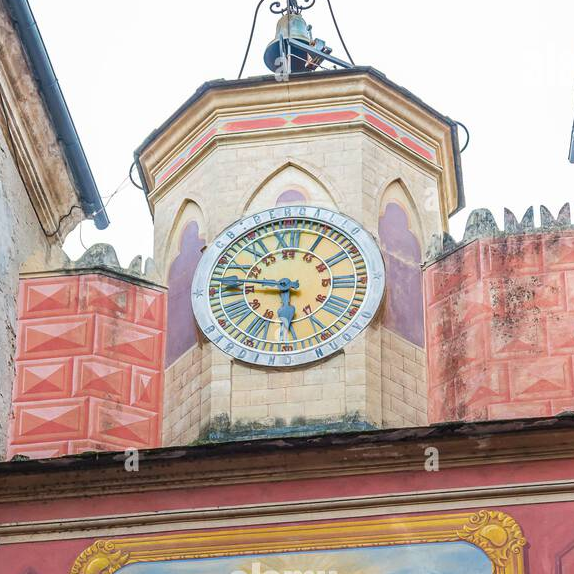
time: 5:46
